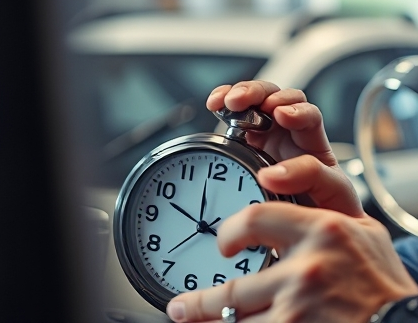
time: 11:48
